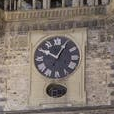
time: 10:04
